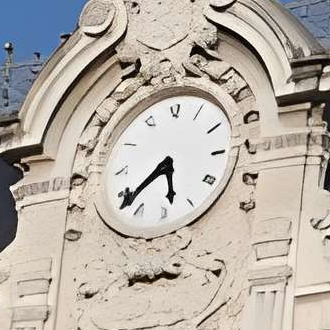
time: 5:38
